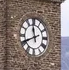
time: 11:41
